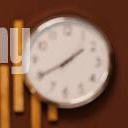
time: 1:40
